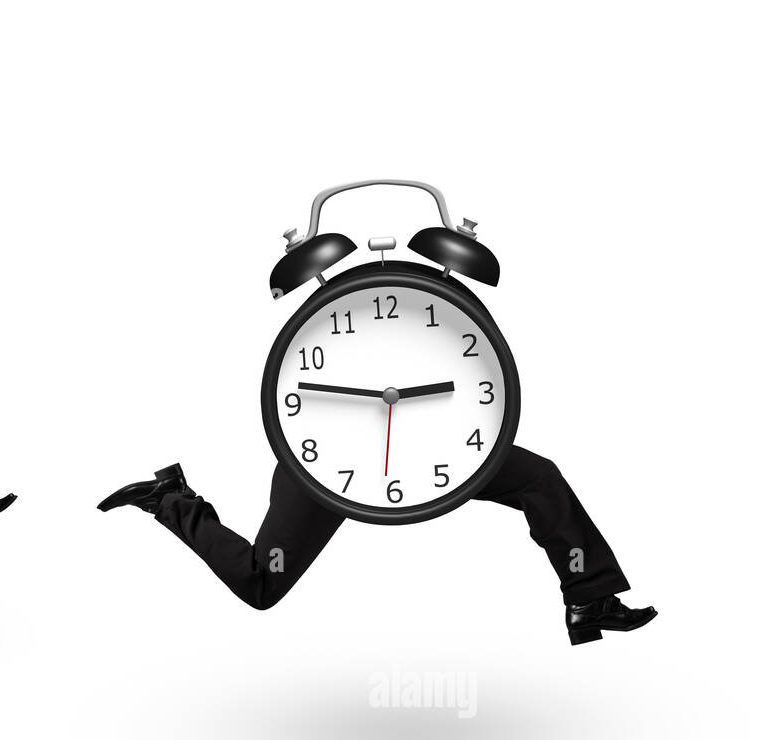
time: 2:46
